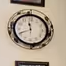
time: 11:41
